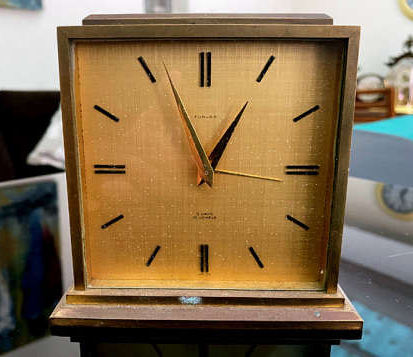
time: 12:56
